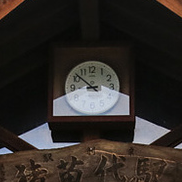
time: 8:51
